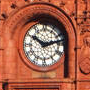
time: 10:12
